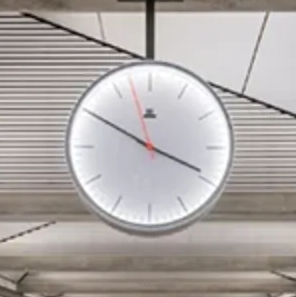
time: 3:50
